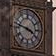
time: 3:47
